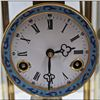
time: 2:30
